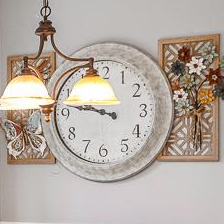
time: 9:47
